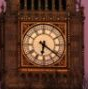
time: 6:21
